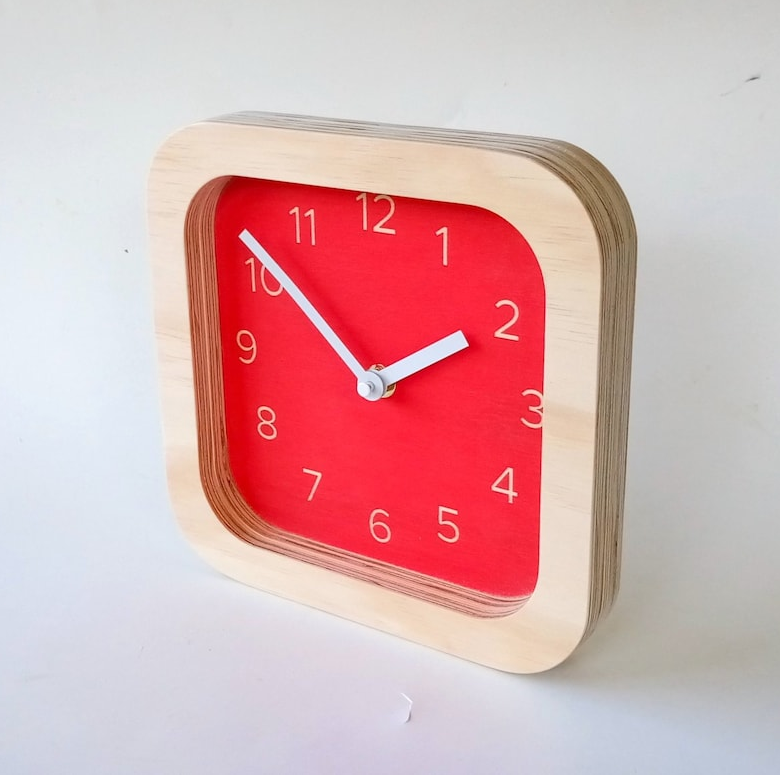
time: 1:51
